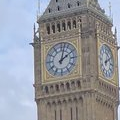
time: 2:02
